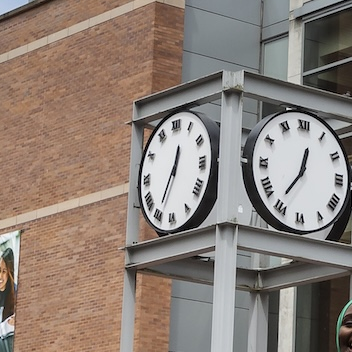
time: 12:34
